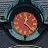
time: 12:22
